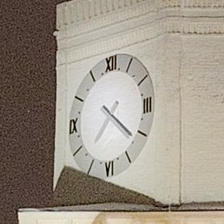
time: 7:21
